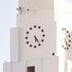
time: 5:24
